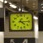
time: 4:14
